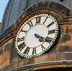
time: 4:19
